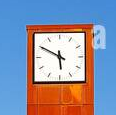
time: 5:49
